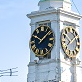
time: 10:07
